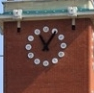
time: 11:05
